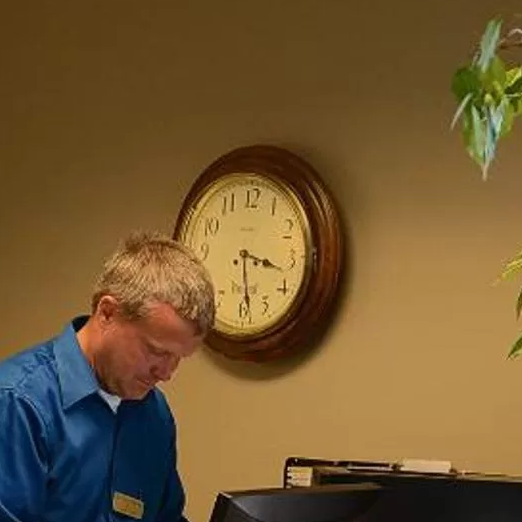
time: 3:28
